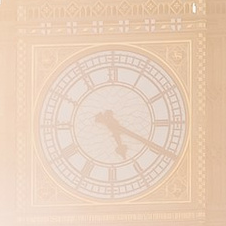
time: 5:20
